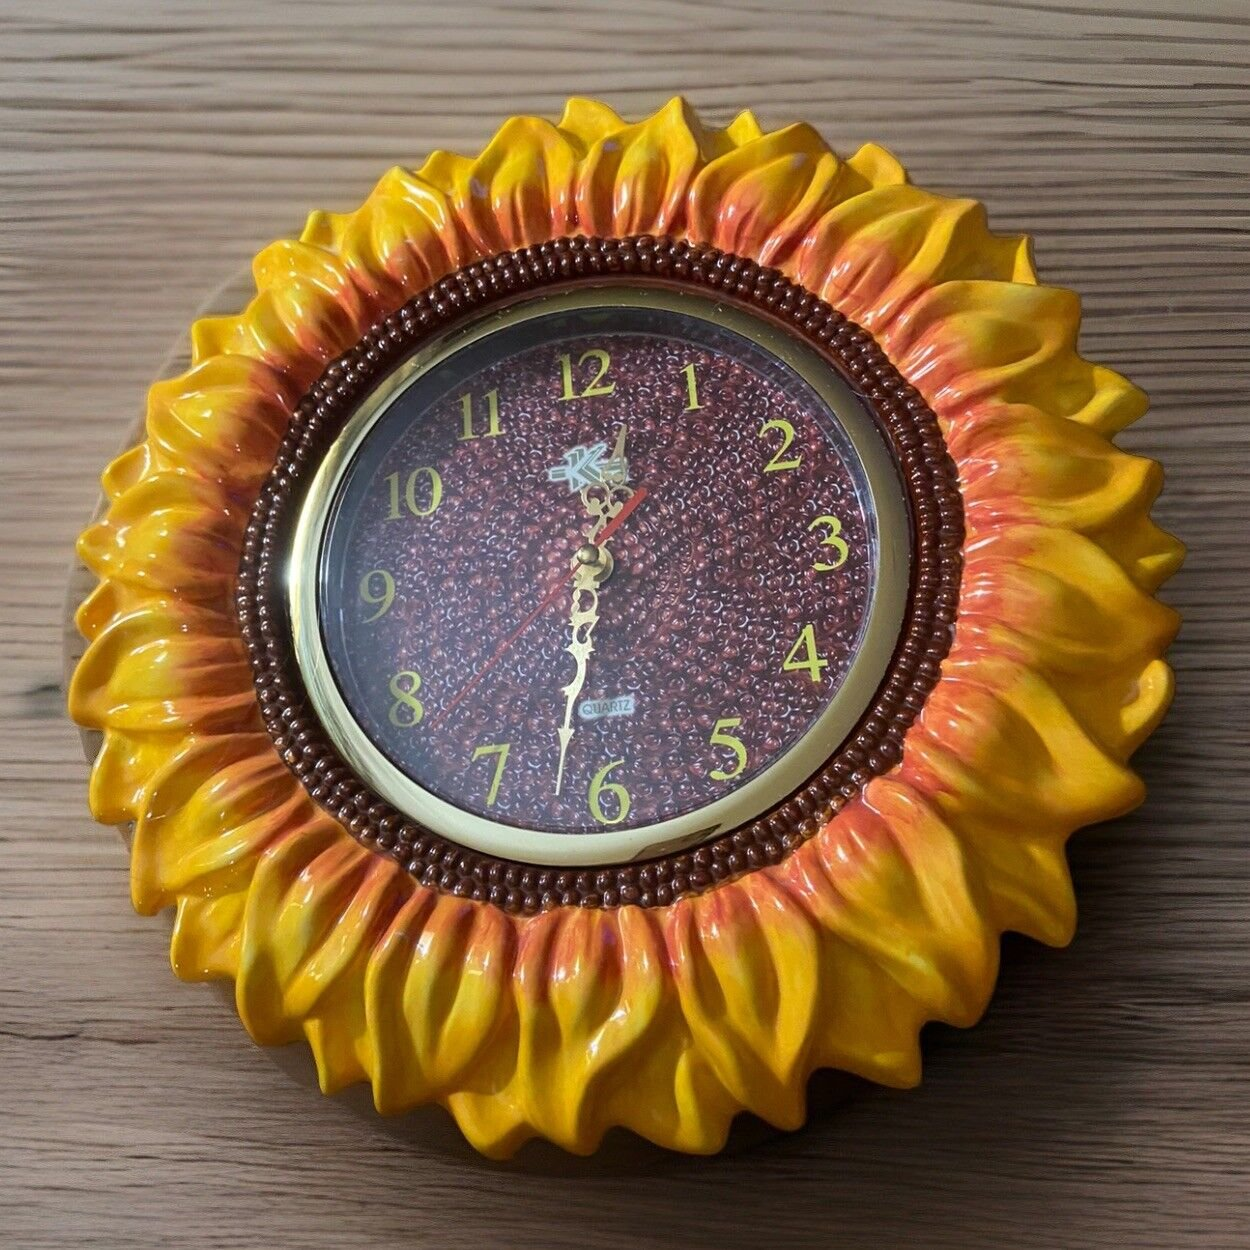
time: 12:32
